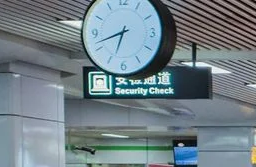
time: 6:42
